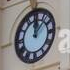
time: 12:07
